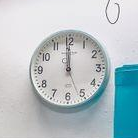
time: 11:59
